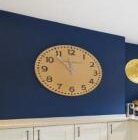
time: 11:52
